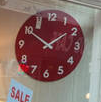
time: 1:50
